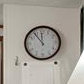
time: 11:53
